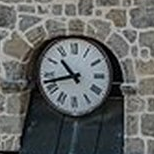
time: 10:42
